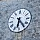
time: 6:24
